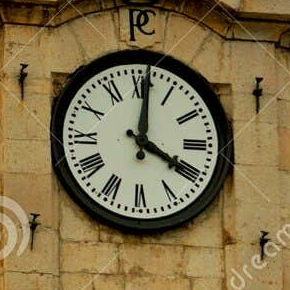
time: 4:01
